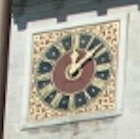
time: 12:07
